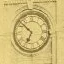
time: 6:52
